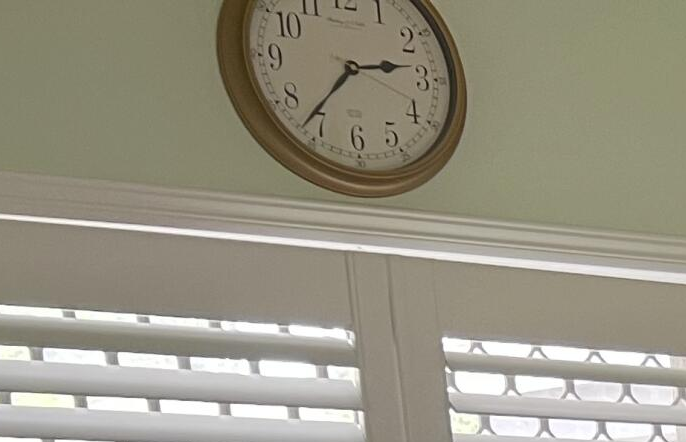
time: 2:36
